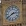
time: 2:39
